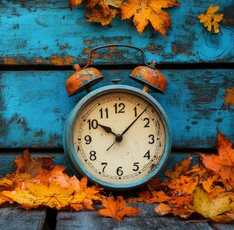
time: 10:07
